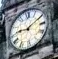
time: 9:10
